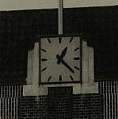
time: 1:22
